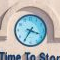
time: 3:35
